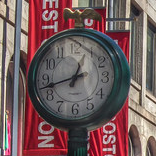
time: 12:42
